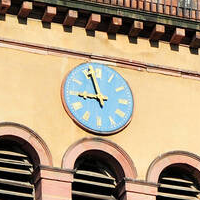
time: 8:56
